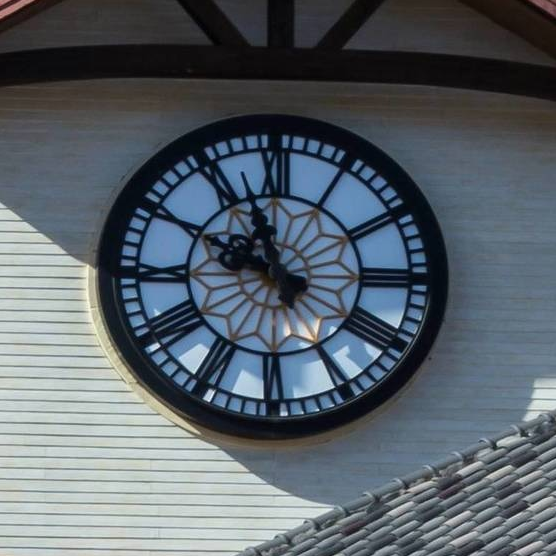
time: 9:56
